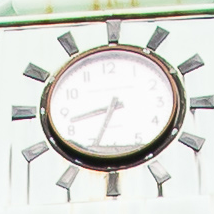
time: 8:33
